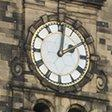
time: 2:01
